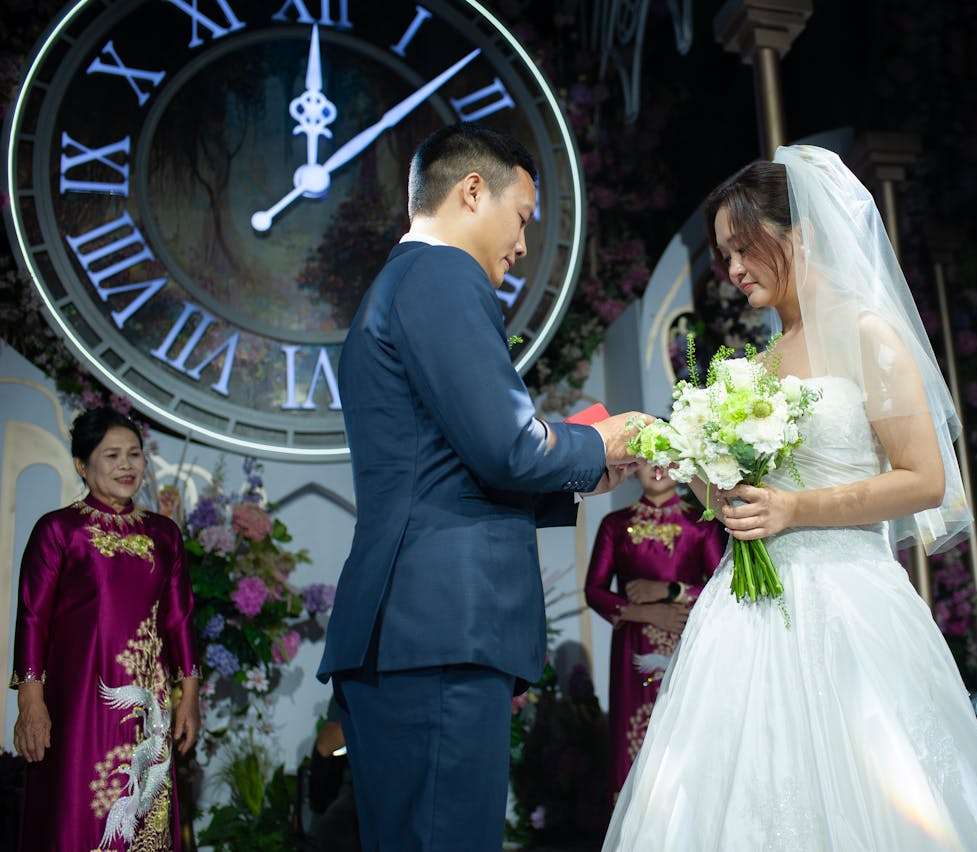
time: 12:08
